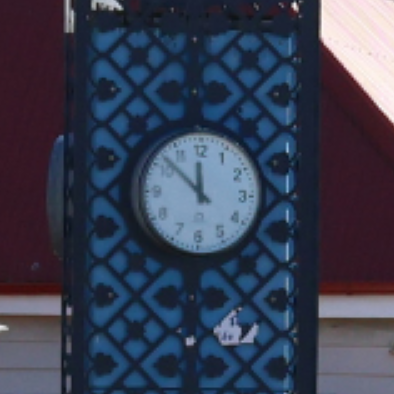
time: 11:52
